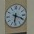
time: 6:18
